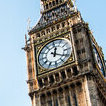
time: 12:20
